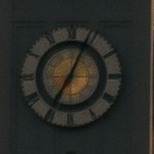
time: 7:04
